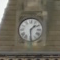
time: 1:29
